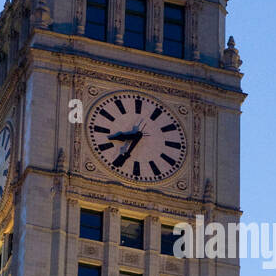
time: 8:34
